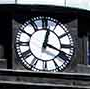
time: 12:18
